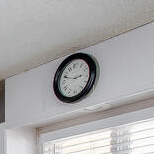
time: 2:48
